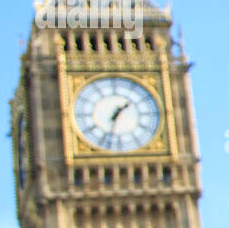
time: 1:33
